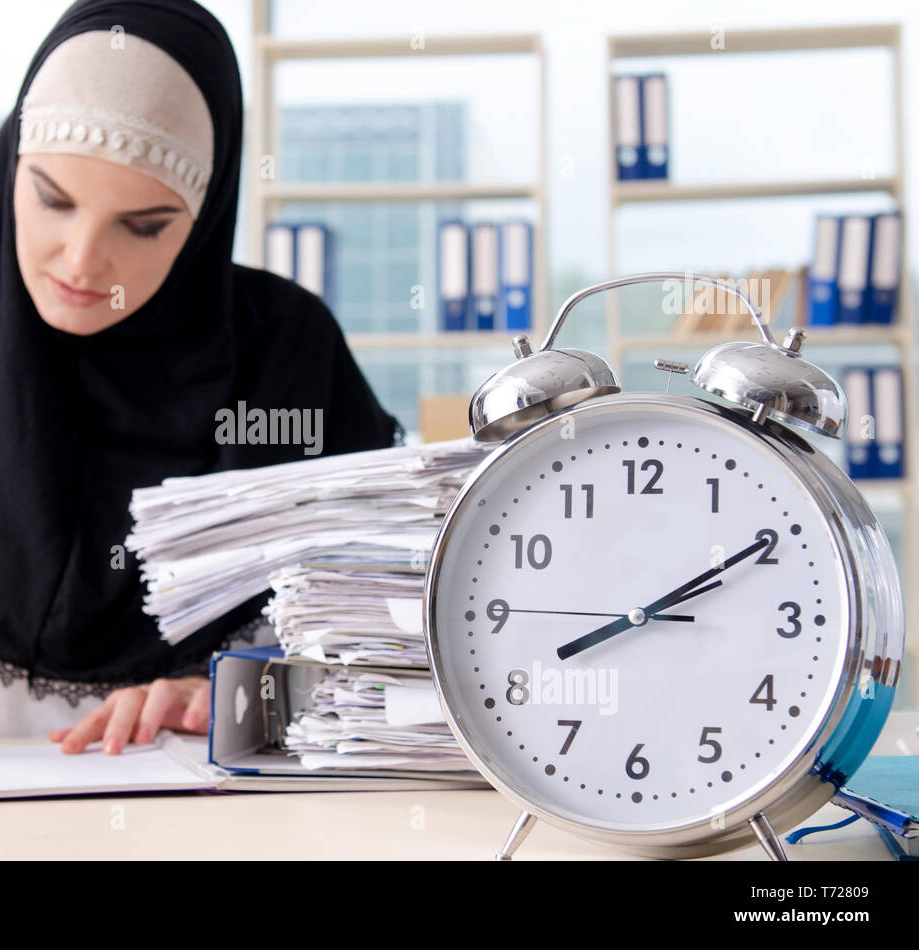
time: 8:09
